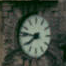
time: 7:46
